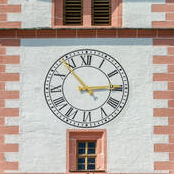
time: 2:53
